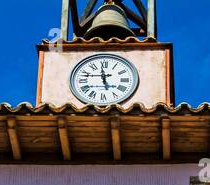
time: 11:47
